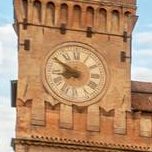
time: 8:50
